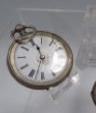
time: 11:32
